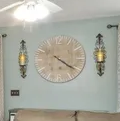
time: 4:20
